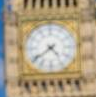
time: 4:38
